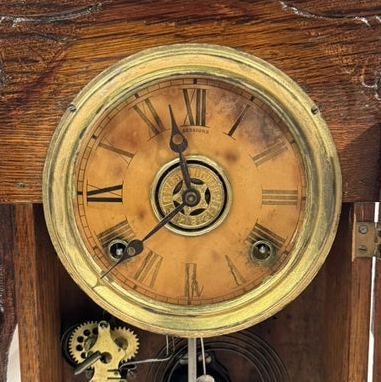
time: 11:37
